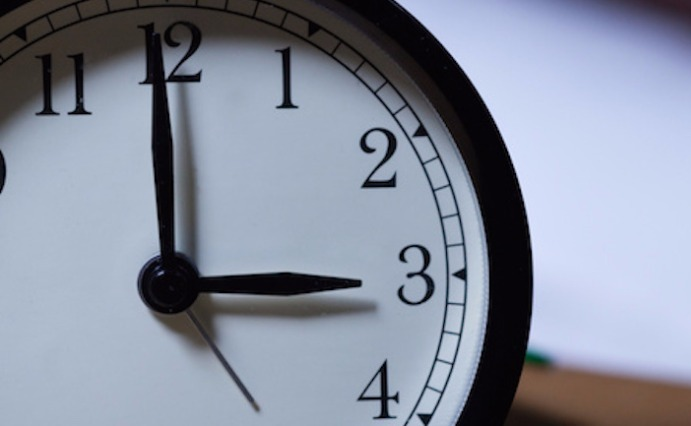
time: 2:59
